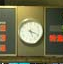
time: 5:18
